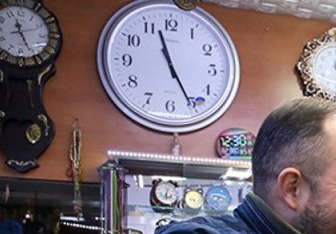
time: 11:25
